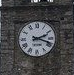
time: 2:18
